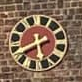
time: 5:40
